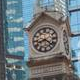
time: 8:21
